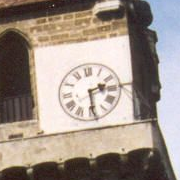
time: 2:29
